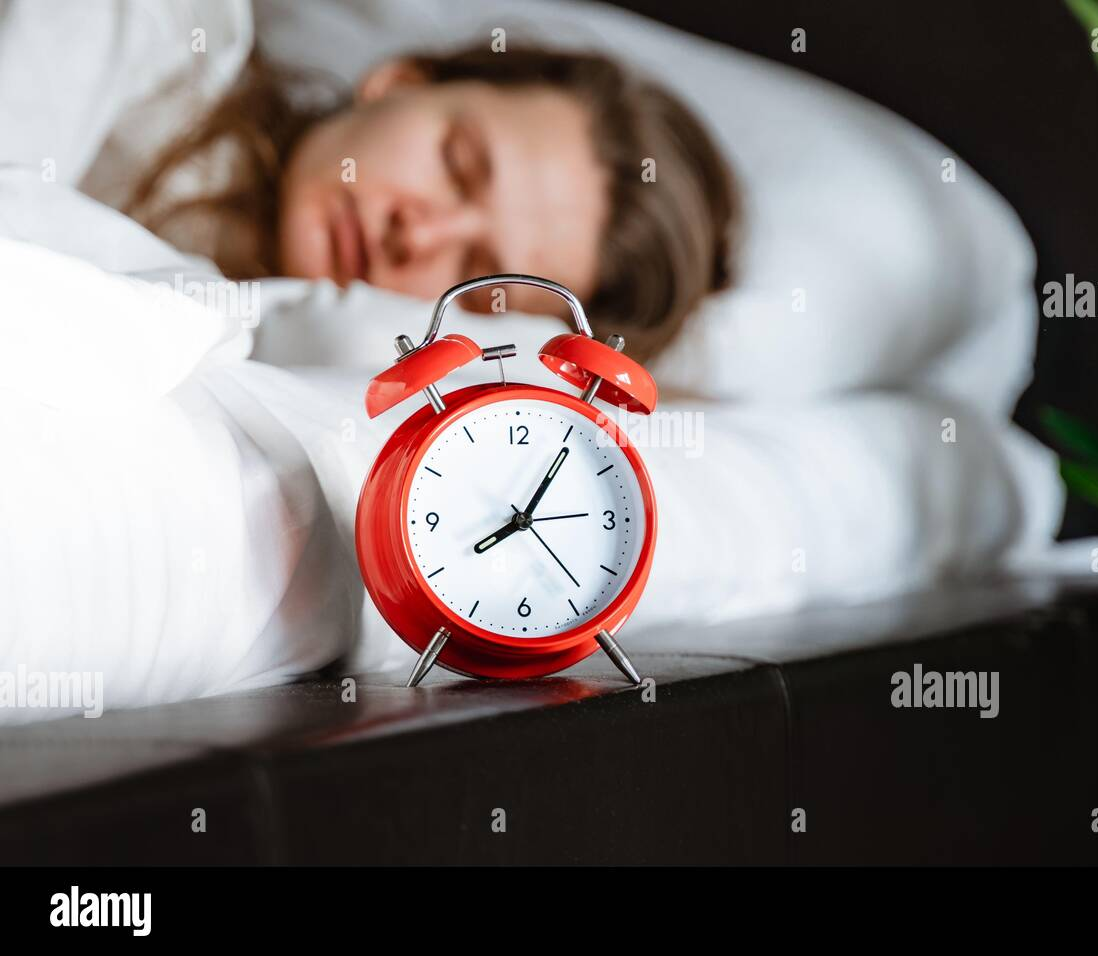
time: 8:05
